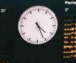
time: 4:26
